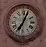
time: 7:04
